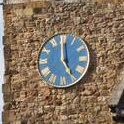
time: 4:59
